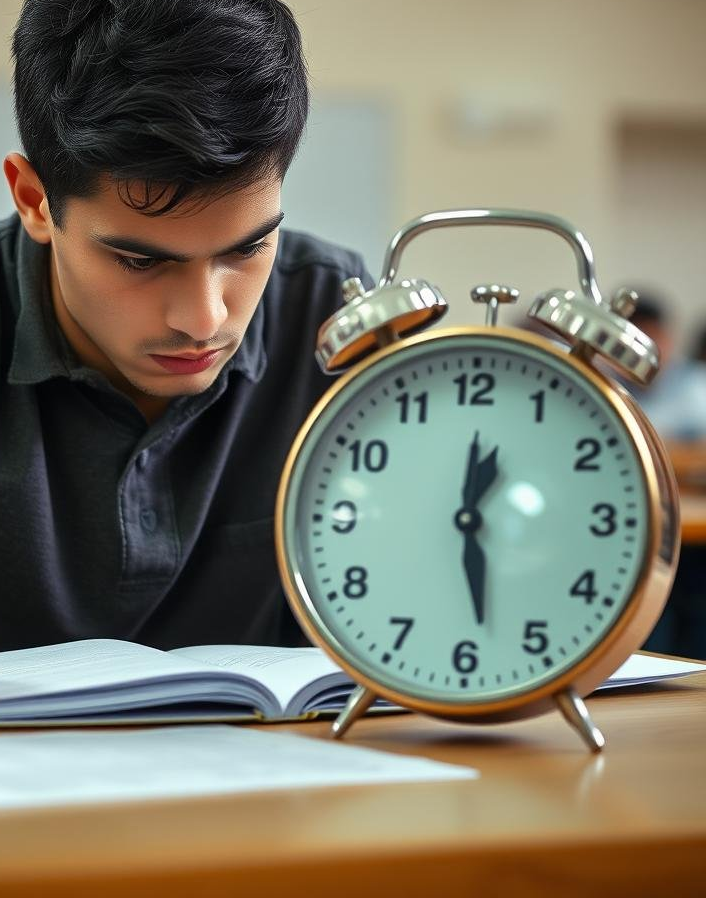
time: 12:28
